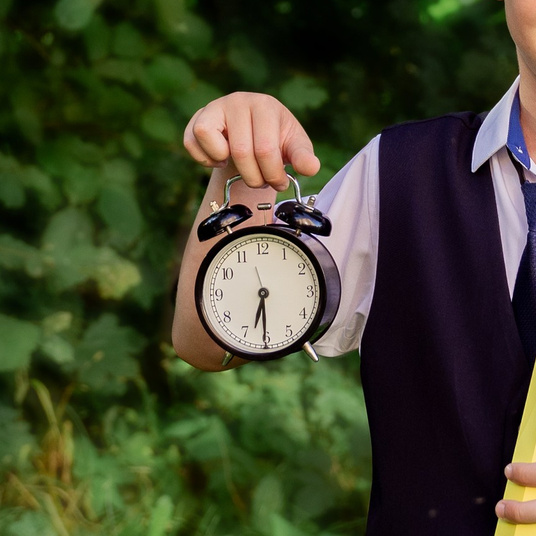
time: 6:30
